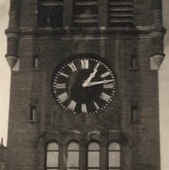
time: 1:13
